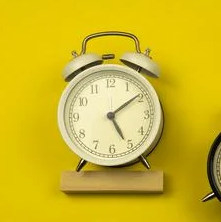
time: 5:09
